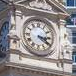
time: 3:20
